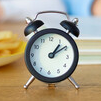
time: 1:09
